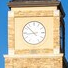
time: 8:52
